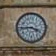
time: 3:44
